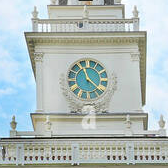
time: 11:21
